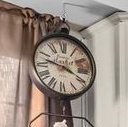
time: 3:47
